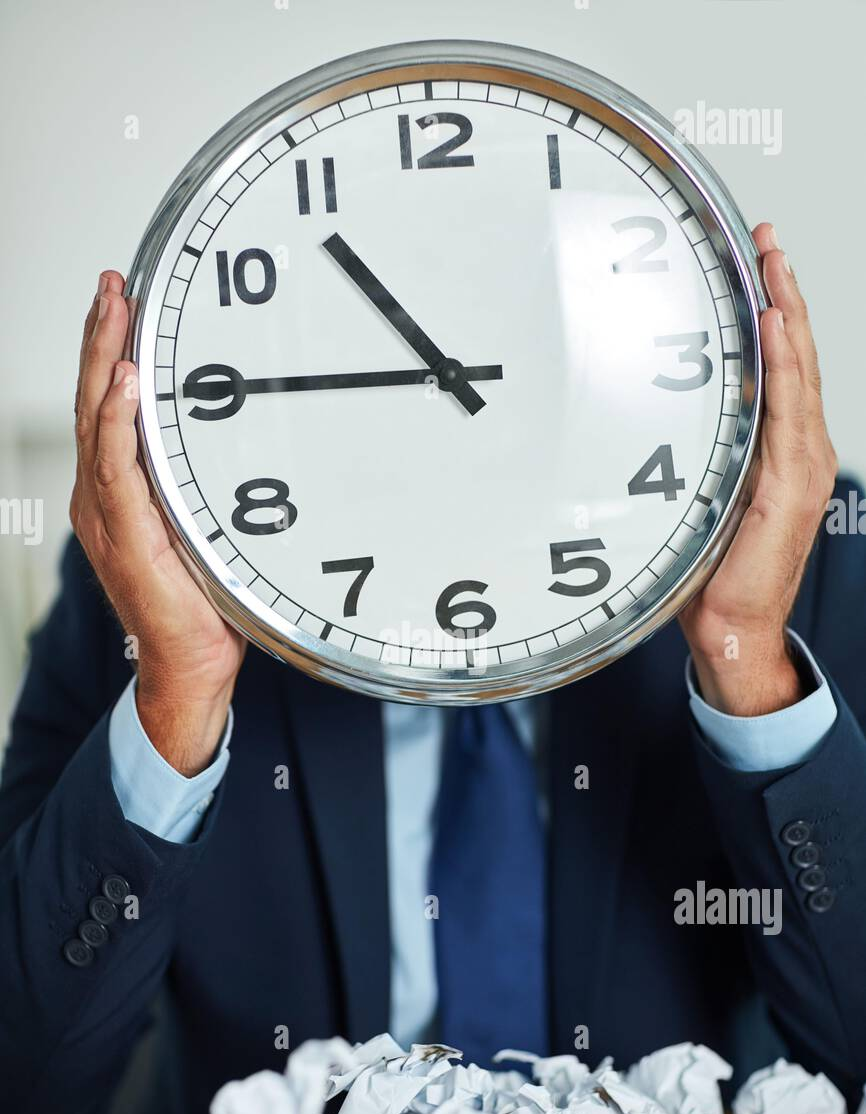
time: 10:45
